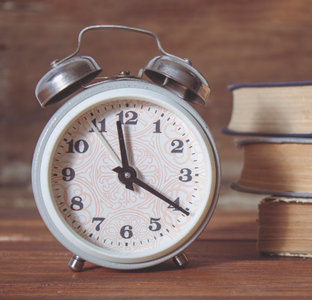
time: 3:58
